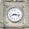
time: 8:17
